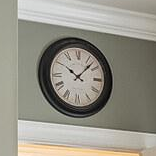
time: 10:07
